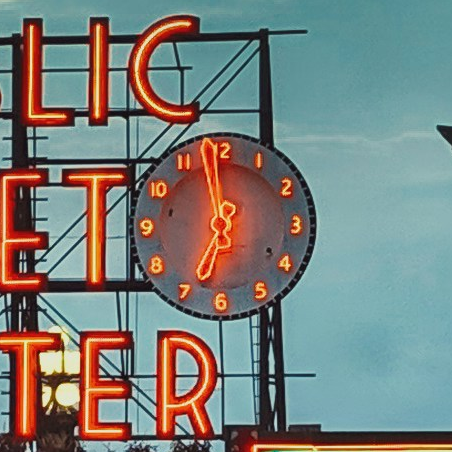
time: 6:58
